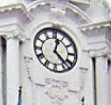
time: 12:23
